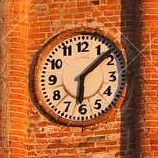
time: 6:08
